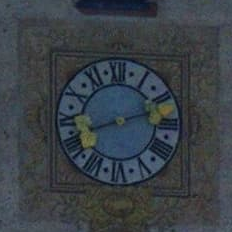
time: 8:11
